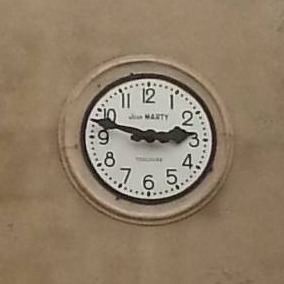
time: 2:47
